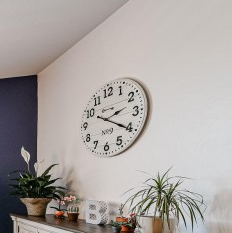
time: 2:20
